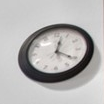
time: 12:20
